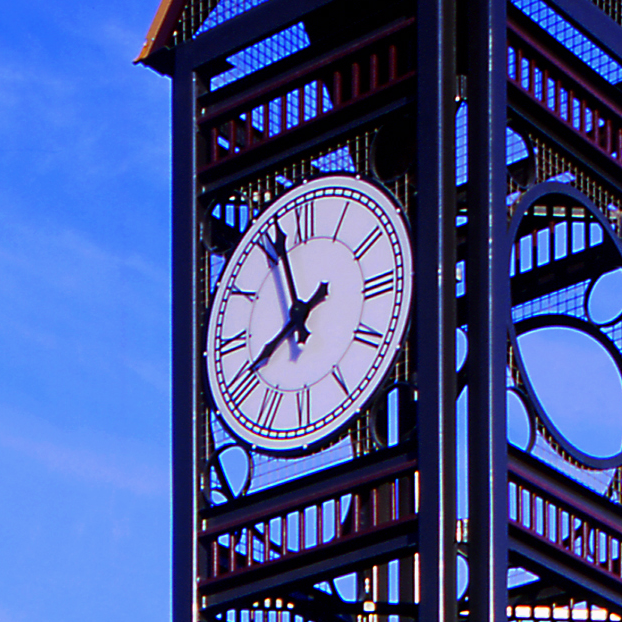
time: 7:56
